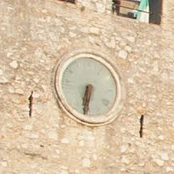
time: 6:32
